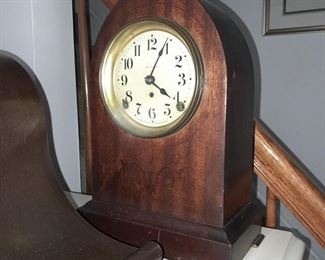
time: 4:04
